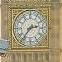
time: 2:36
